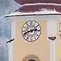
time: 2:41
